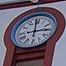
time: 2:59
